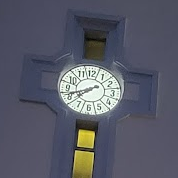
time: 7:42
